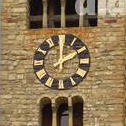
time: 2:00
